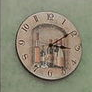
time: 3:09
